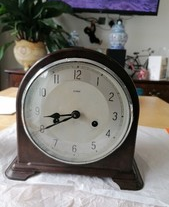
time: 8:40
